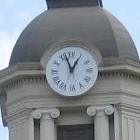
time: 12:57
